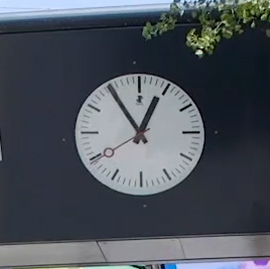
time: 12:54
